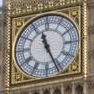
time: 11:26
